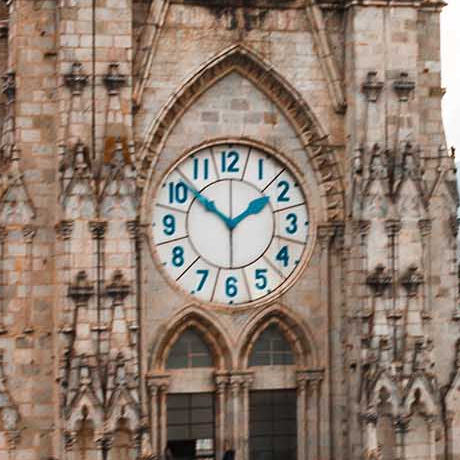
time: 1:51
